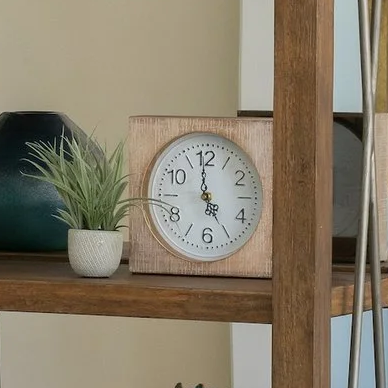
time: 4:58
